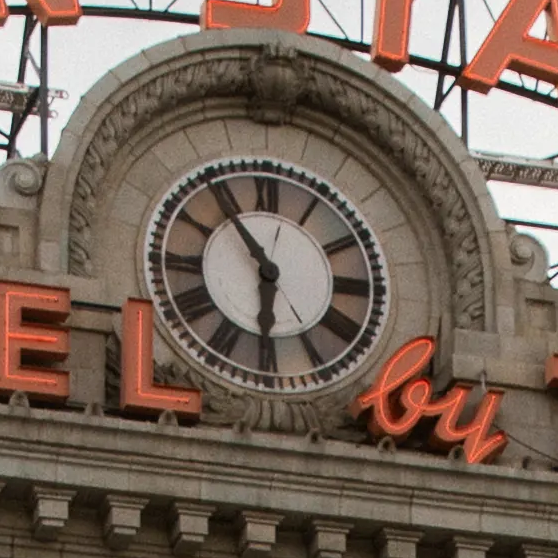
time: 5:54
